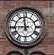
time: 11:44
